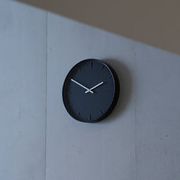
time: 1:50
